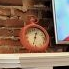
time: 12:32
